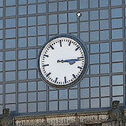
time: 3:15
